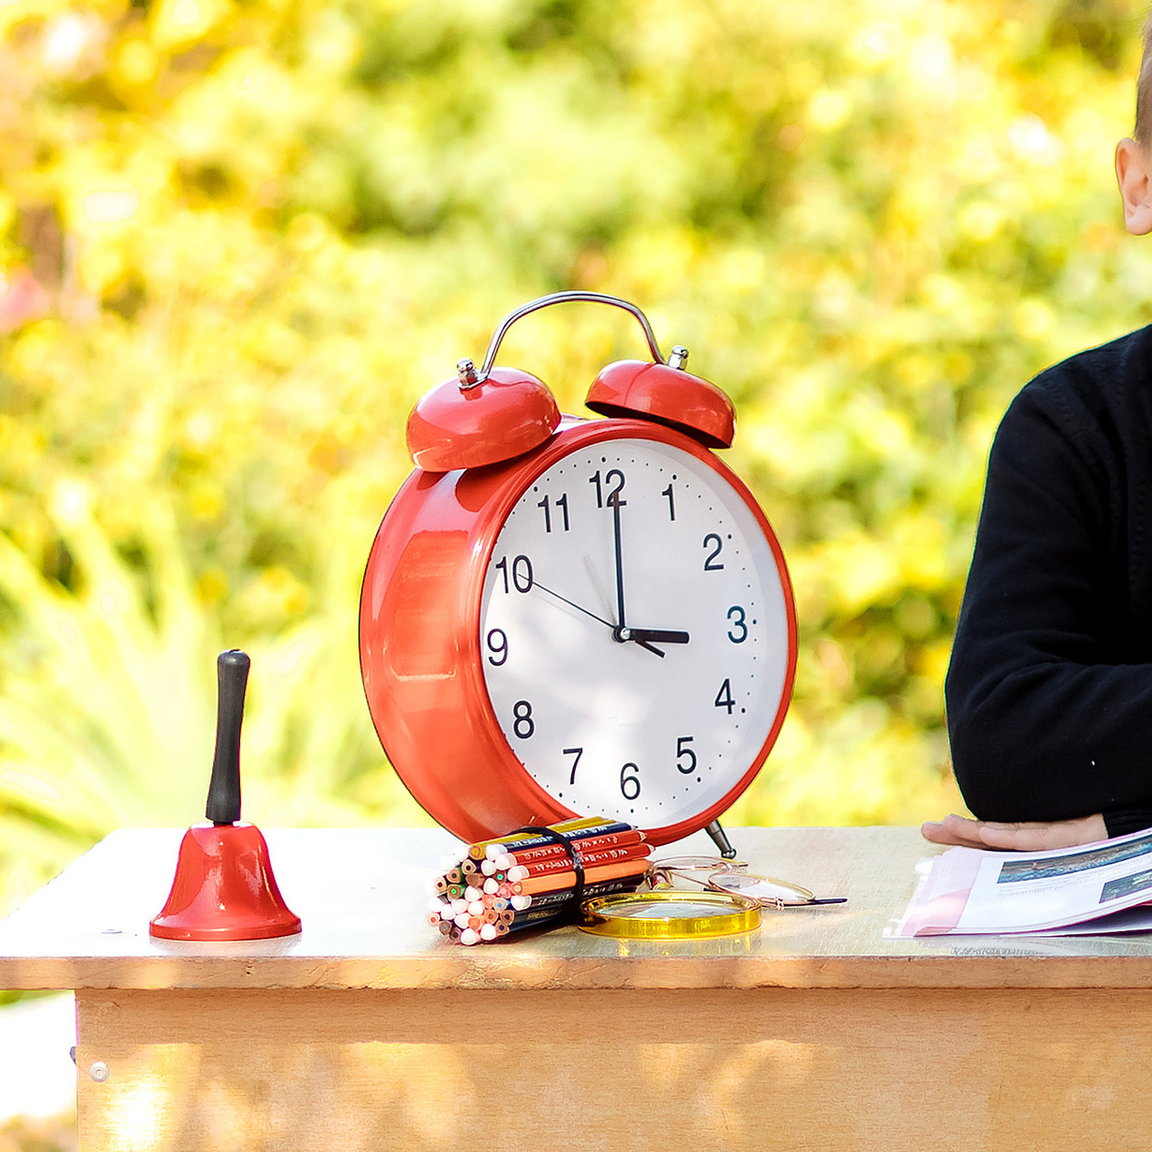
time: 3:00
